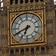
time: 6:40
